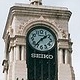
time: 1:36
